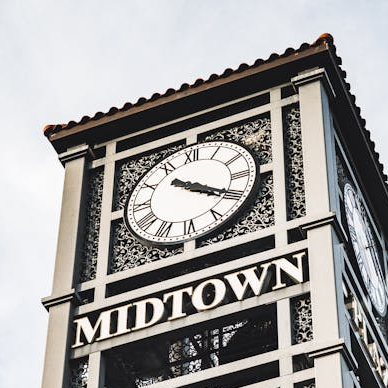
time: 4:20
